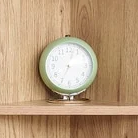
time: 12:34
